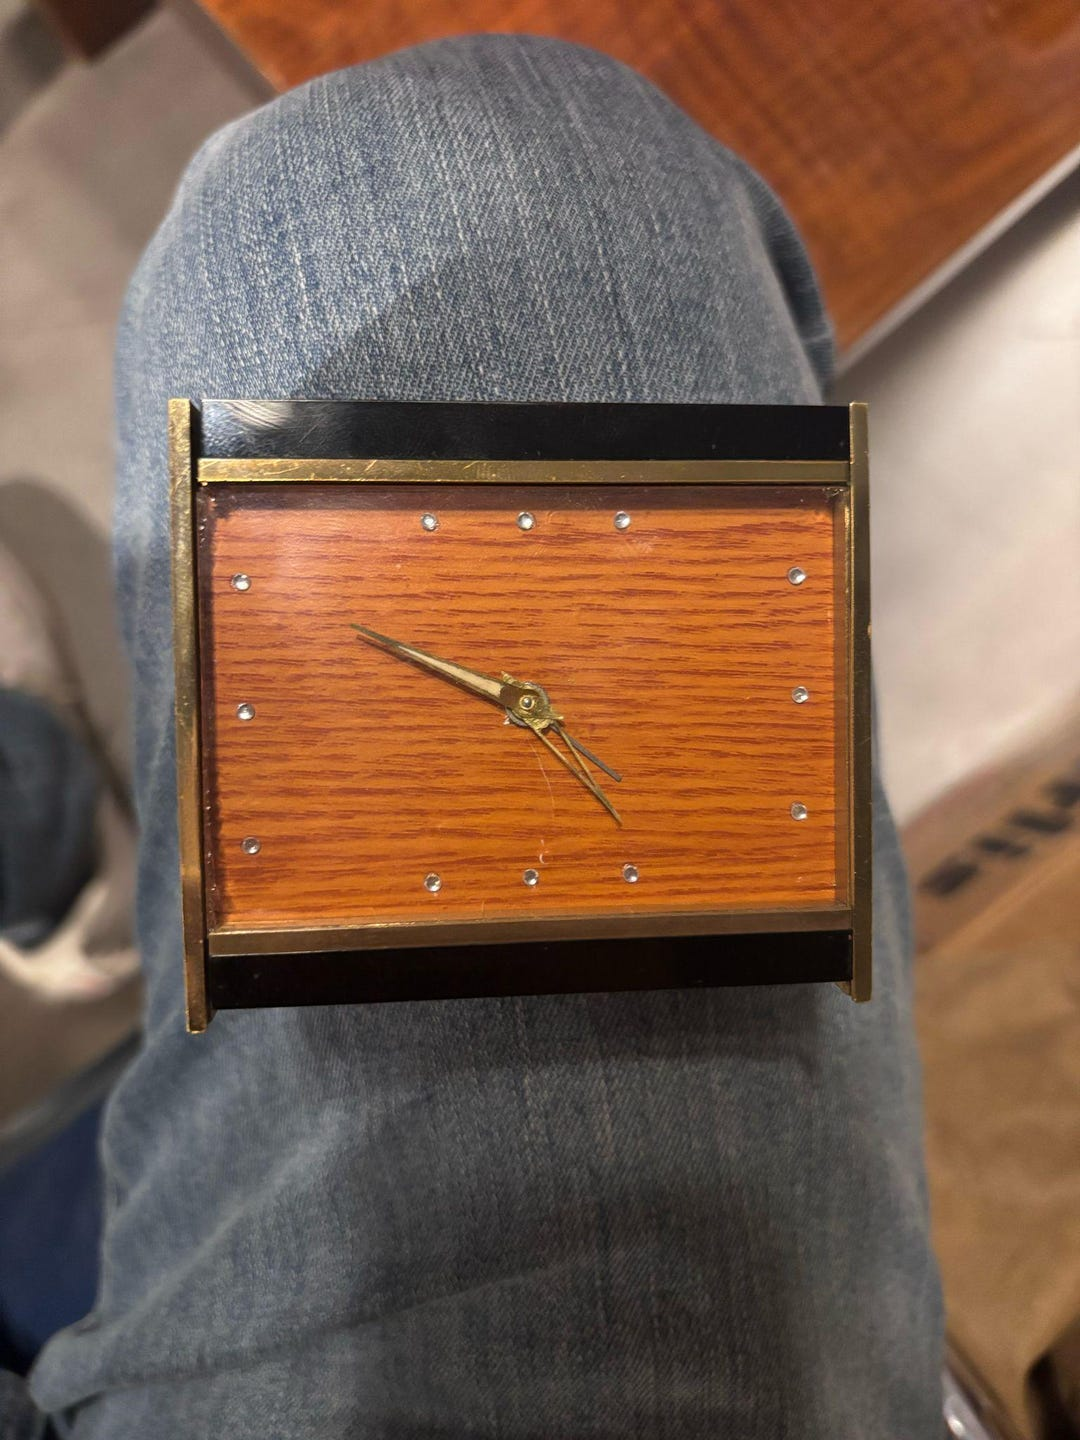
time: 4:50
